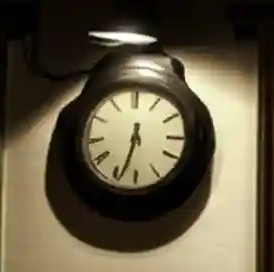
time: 12:33
